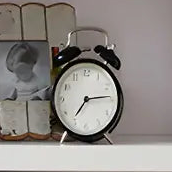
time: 7:13
